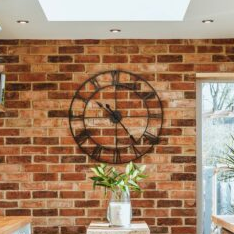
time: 10:23
